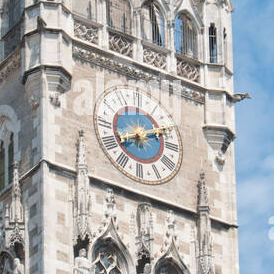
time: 8:11
